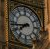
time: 7:43
